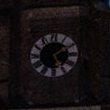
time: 5:09
